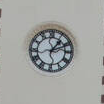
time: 1:11
